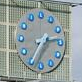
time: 2:35
